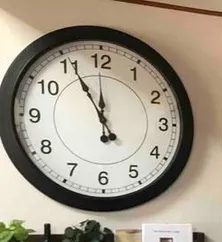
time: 11:55
